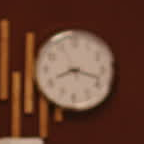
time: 8:17
